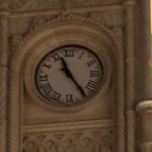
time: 11:24
